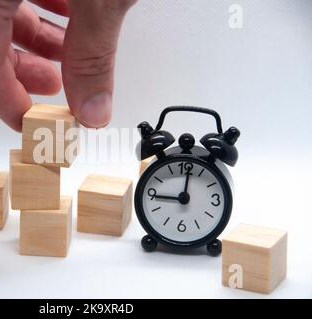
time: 9:01
